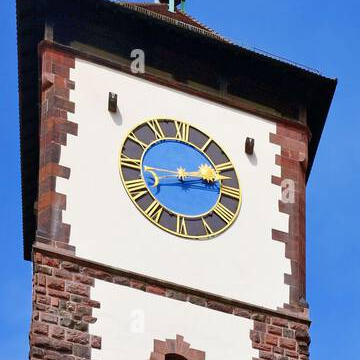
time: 2:44
